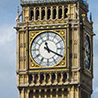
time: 11:19
